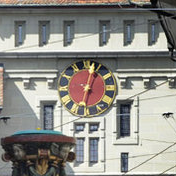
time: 12:32
